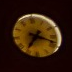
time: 7:18
